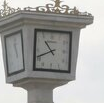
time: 10:41
